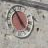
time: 4:54
